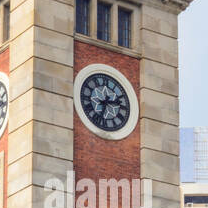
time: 2:33
